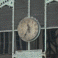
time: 11:35
